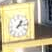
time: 1:13
